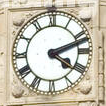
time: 4:11
